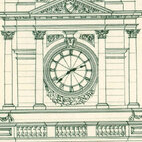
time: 2:38
